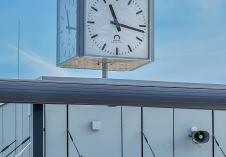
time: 11:16
